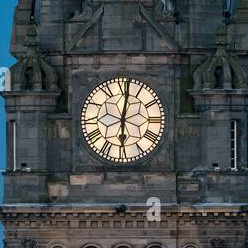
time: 6:01
